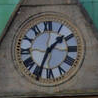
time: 1:34
